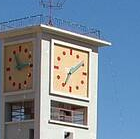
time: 7:09
